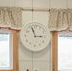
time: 2:57
